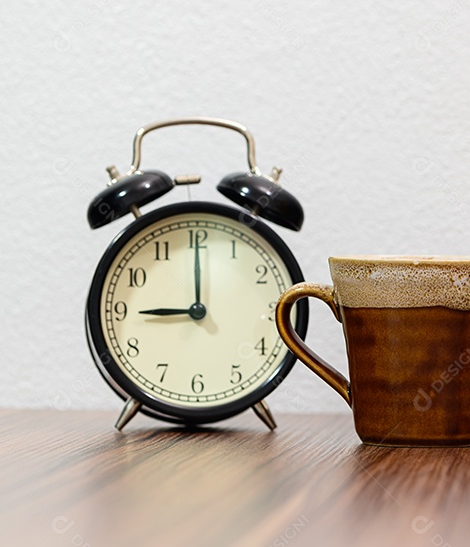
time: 9:00
